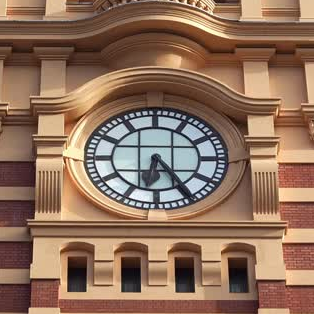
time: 6:24
